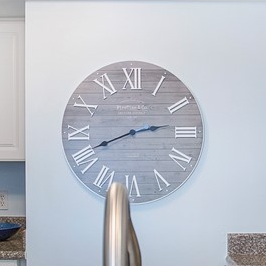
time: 2:41
